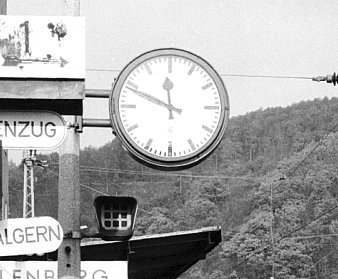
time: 11:48
